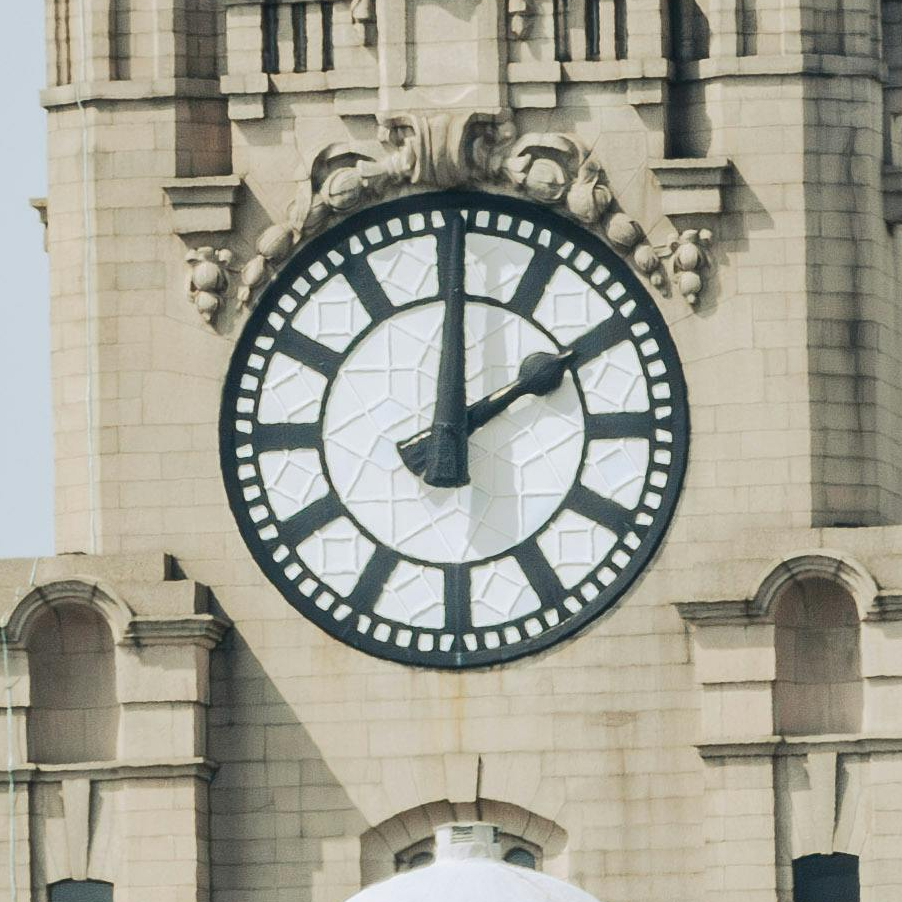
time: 2:00
